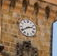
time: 2:40
